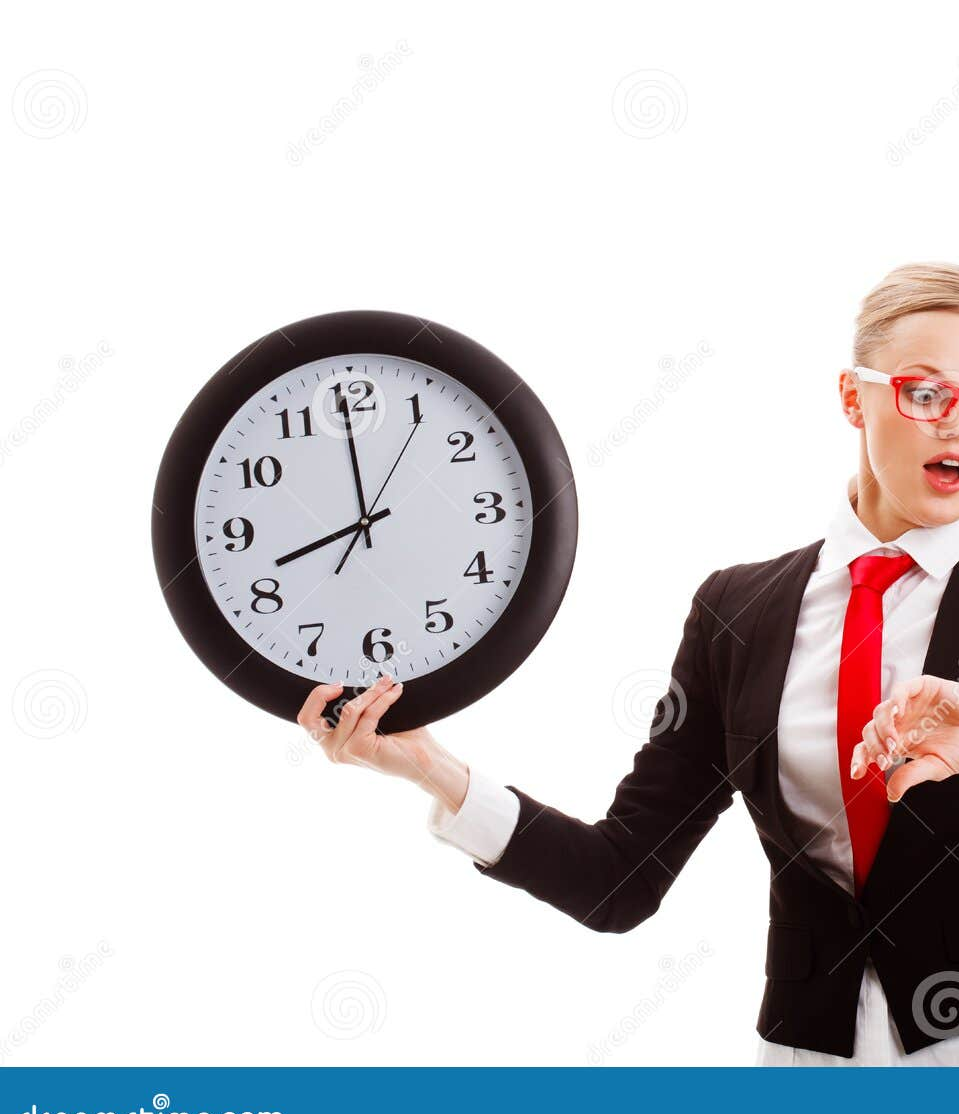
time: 7:59
